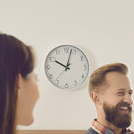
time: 10:02
